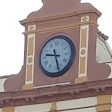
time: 9:27
